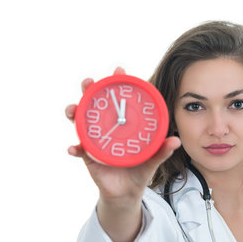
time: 11:55
